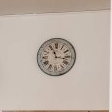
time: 11:16
